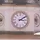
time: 3:09
